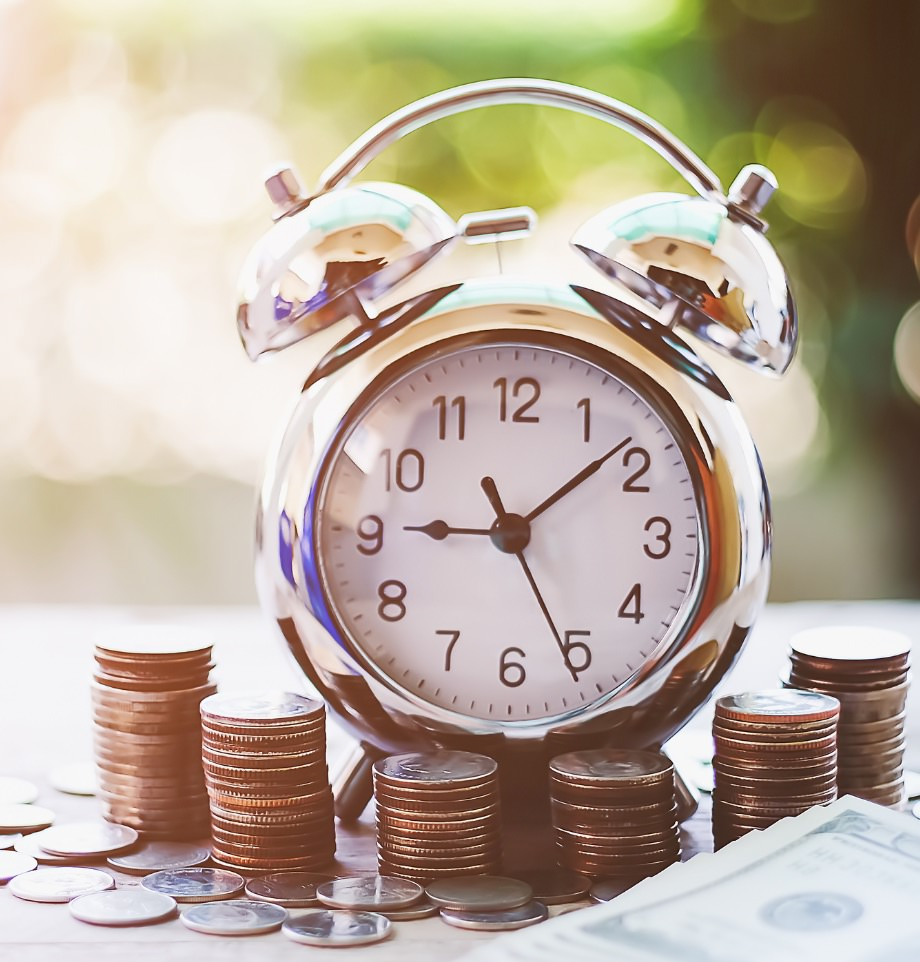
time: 9:08
